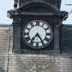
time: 7:24
